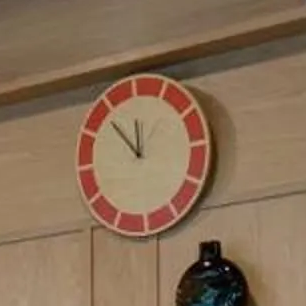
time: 11:53
